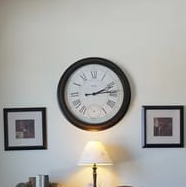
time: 2:14
